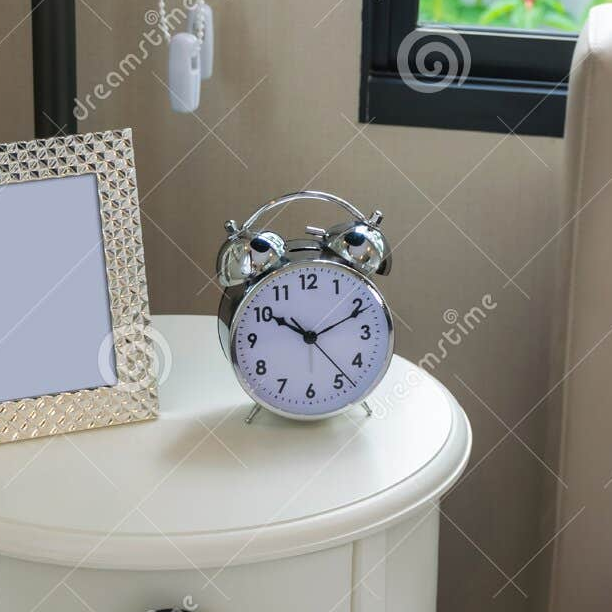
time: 10:11
